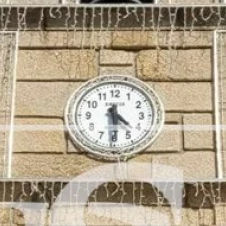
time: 4:29
